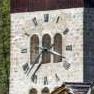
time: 3:37
